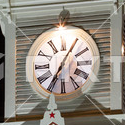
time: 7:05
